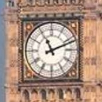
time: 11:11
